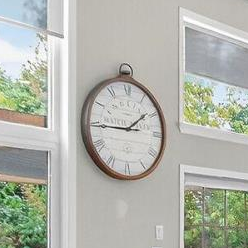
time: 1:44
